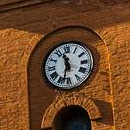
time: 11:32
